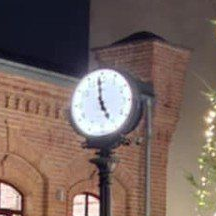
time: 4:58
